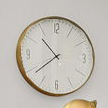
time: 10:38
